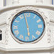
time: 5:57
